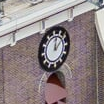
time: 12:07
